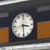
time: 3:29
